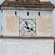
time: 11:18
